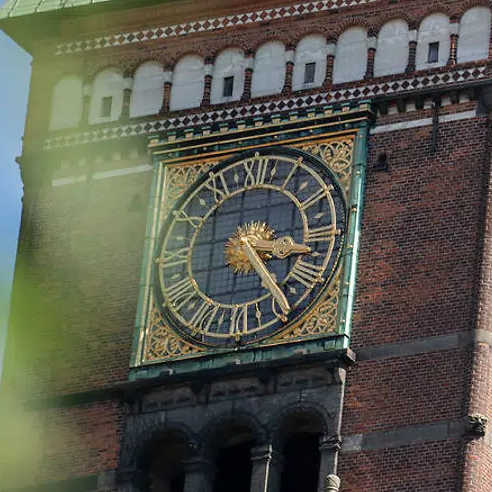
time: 3:23
